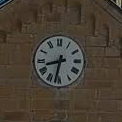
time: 8:32
